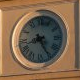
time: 8:25
